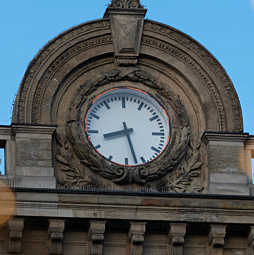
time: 8:27
